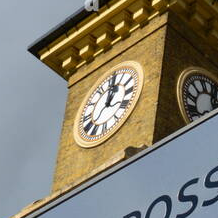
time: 1:01
